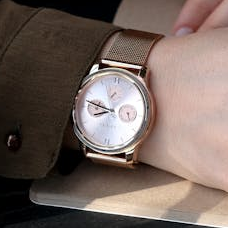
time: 8:47
